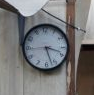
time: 5:18
